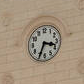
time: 3:34
